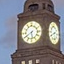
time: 5:40
